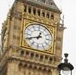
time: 12:41
